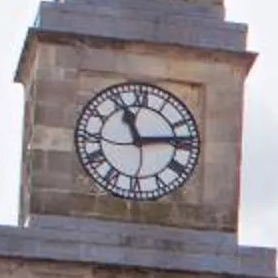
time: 11:13
